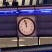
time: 11:57
